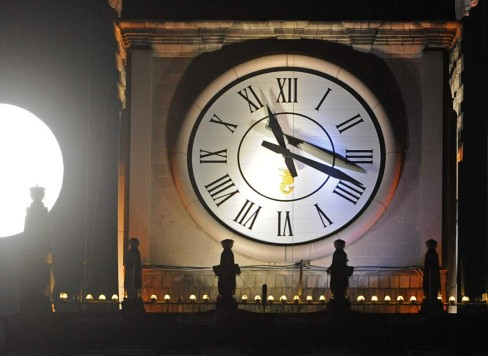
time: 11:18
